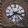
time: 3:38
